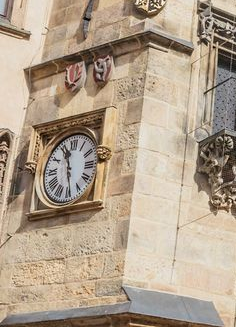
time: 11:28
